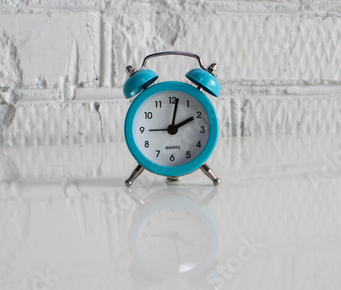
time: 2:01
